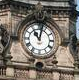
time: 11:02
